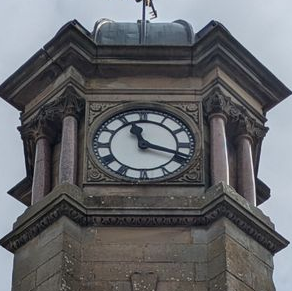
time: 11:18
